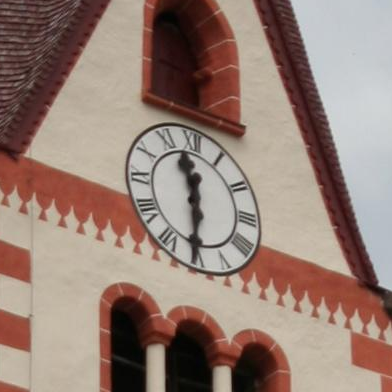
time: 11:30
